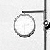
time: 2:29
